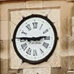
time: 2:45
